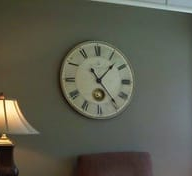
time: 1:23
